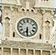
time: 6:30
